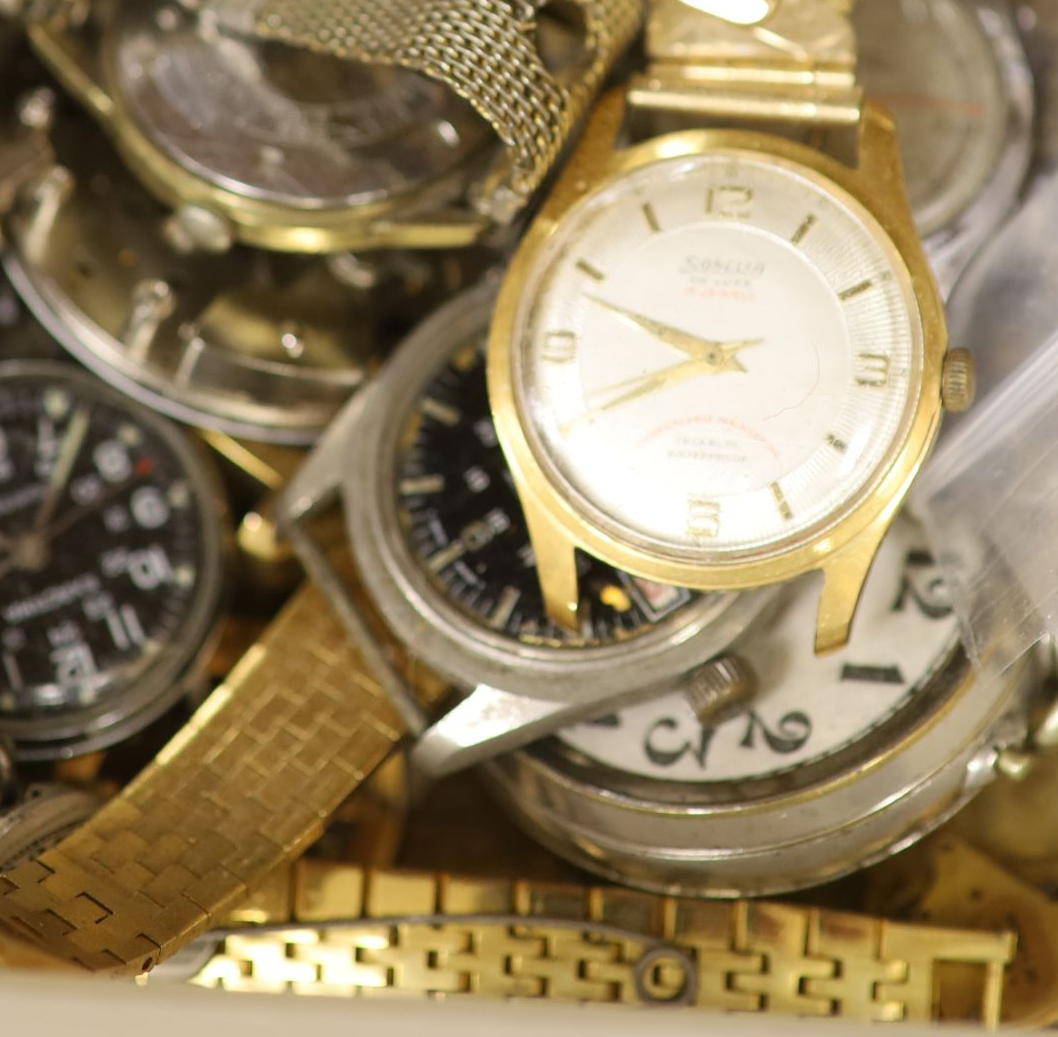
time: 9:40
